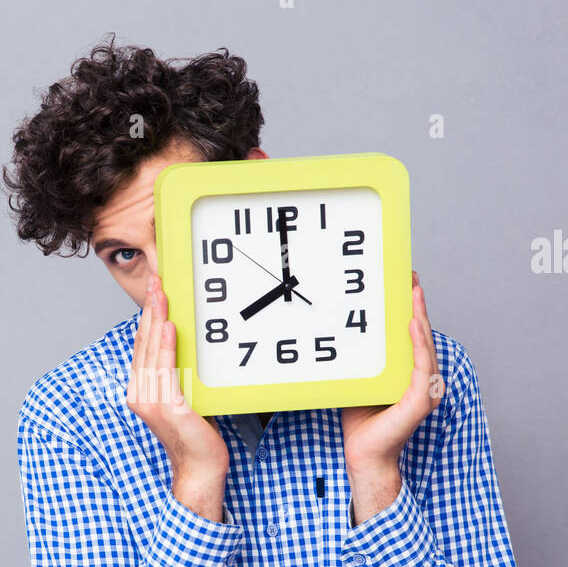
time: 7:59
